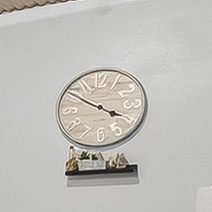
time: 3:50
